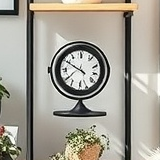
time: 7:50
